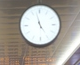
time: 4:57
